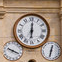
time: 6:00
